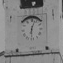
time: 6:03
